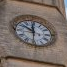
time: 11:50
